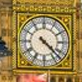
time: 4:22
